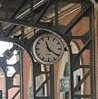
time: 11:21
